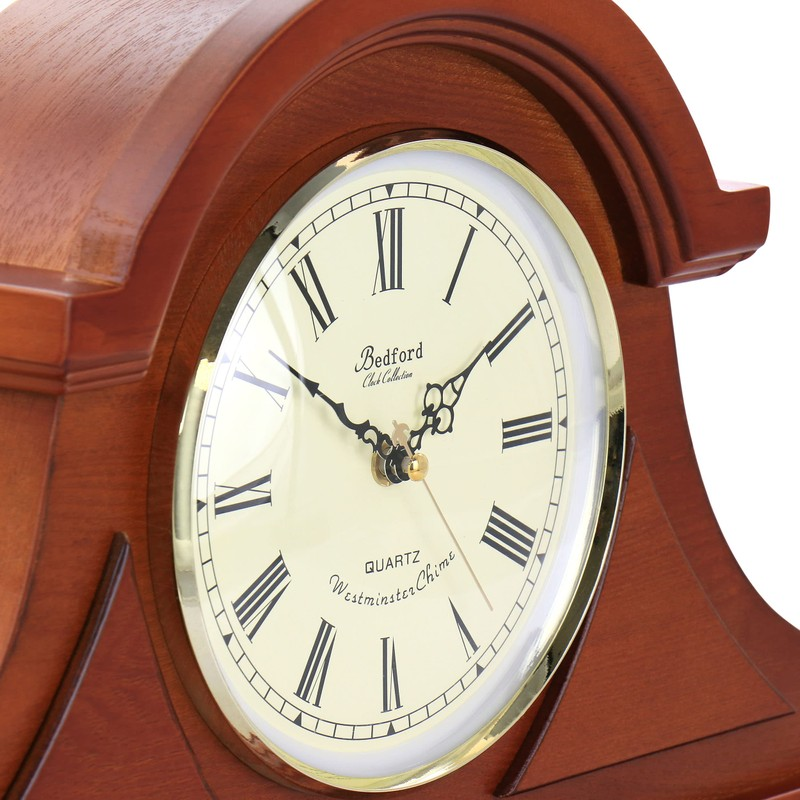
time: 1:51
